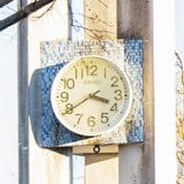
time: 3:39
